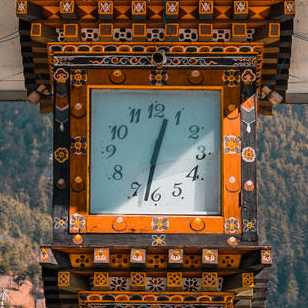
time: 12:32
